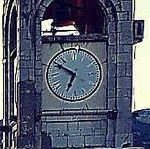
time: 6:50
